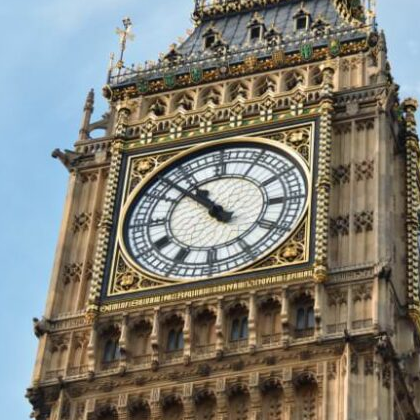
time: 10:52
